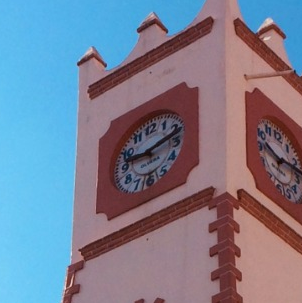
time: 9:12
